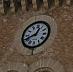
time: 12:41
